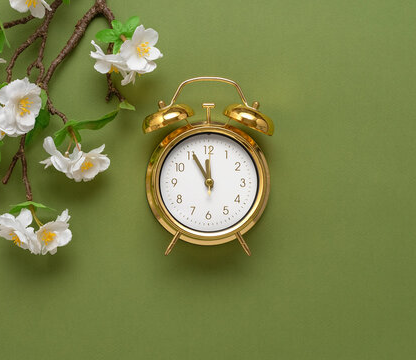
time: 11:55
